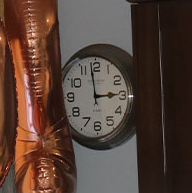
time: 2:58
